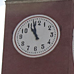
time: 10:57
